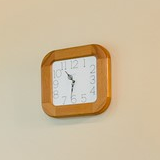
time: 10:31
